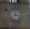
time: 3:02
